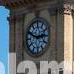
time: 2:48
